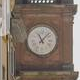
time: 11:07
